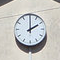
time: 2:00
